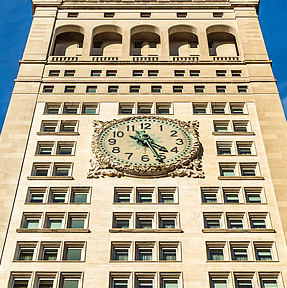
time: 4:26
